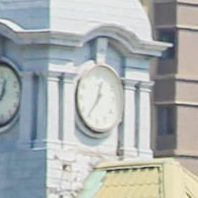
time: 12:36
